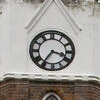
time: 3:36
